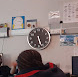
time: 5:26
